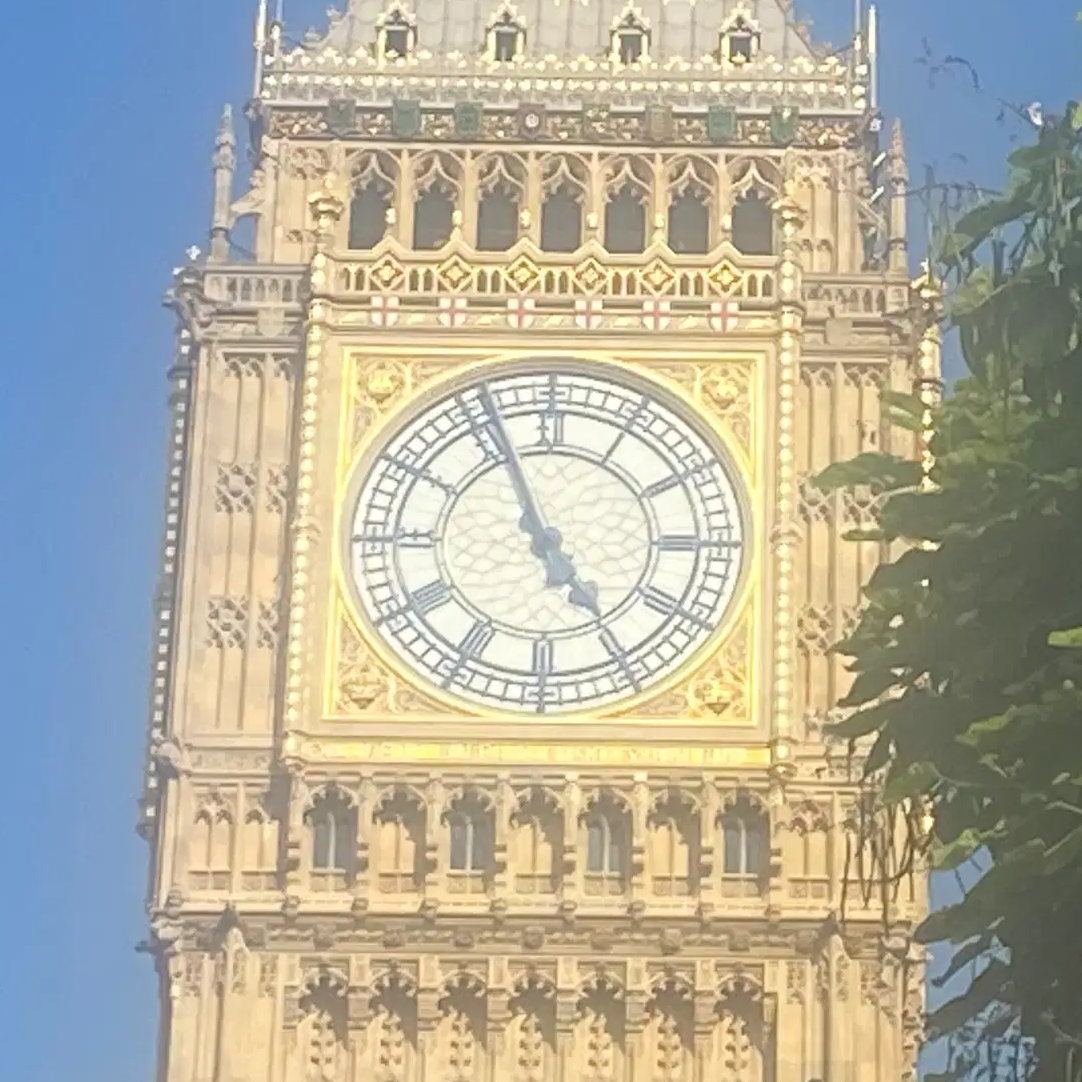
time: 4:56
